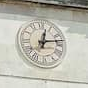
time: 12:13
